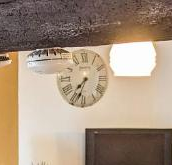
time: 7:33
